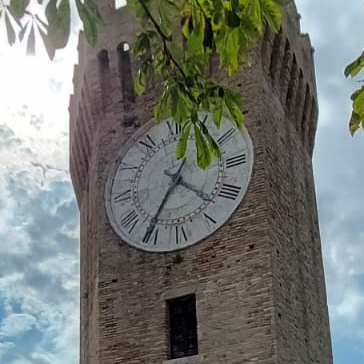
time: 4:35
